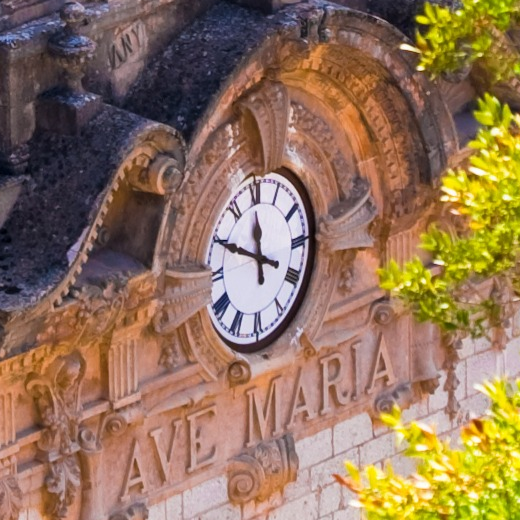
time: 11:49
